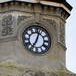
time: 7:03
